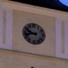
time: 9:42
